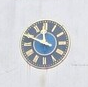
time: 11:48
